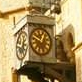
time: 12:48
